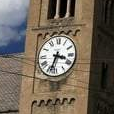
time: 3:33
